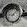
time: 9:07
